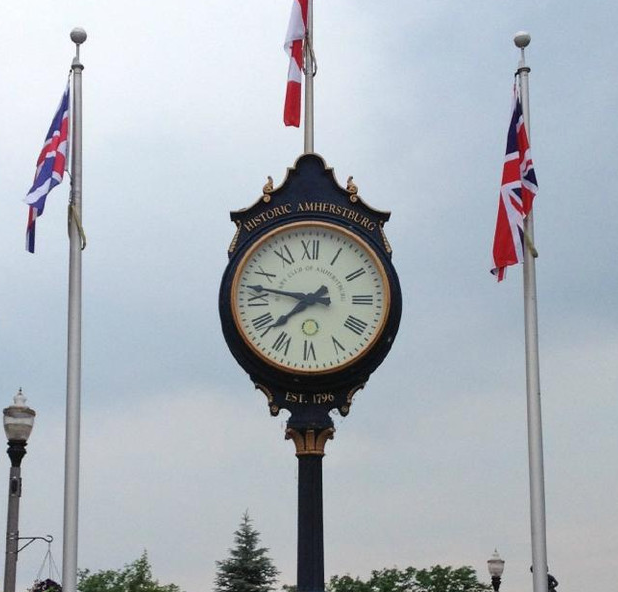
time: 7:46
